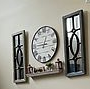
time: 12:45
